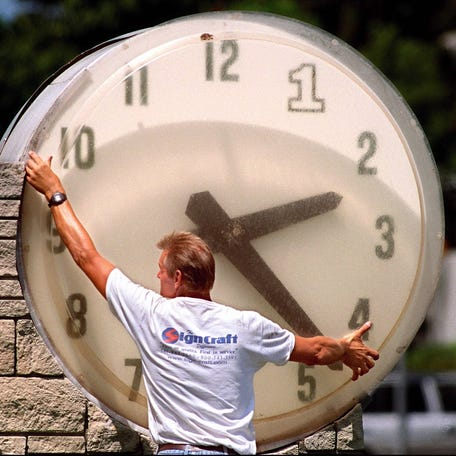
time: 2:23
